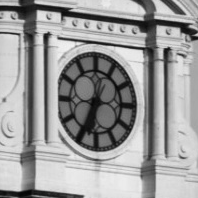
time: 12:34
